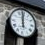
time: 11:59
